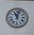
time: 11:02
